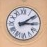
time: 3:09
